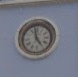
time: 4:58
